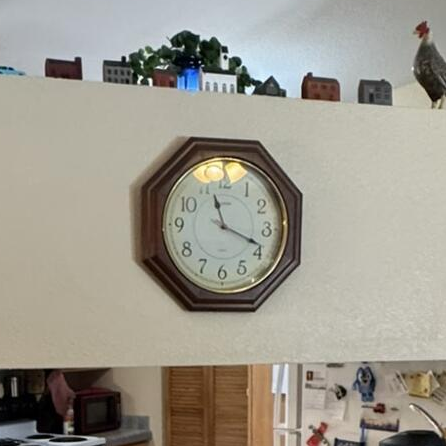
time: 11:18
